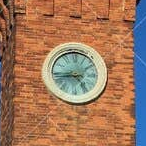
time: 4:42
